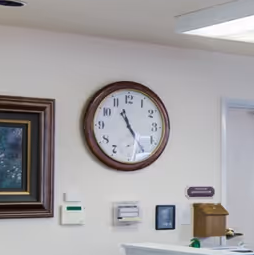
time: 11:24
